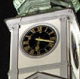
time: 6:17
